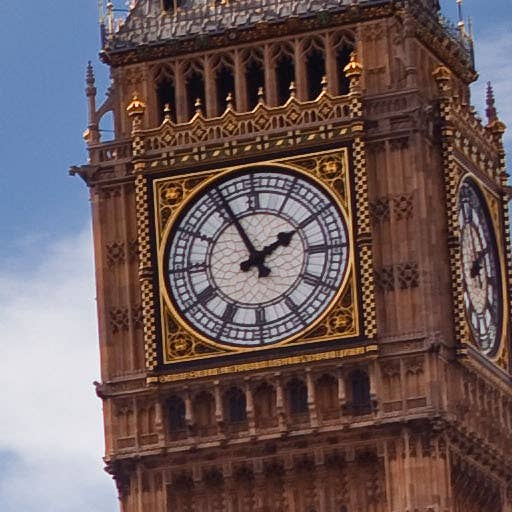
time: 1:56
